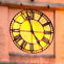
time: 4:57
